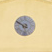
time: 5:49
